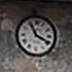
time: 3:55
